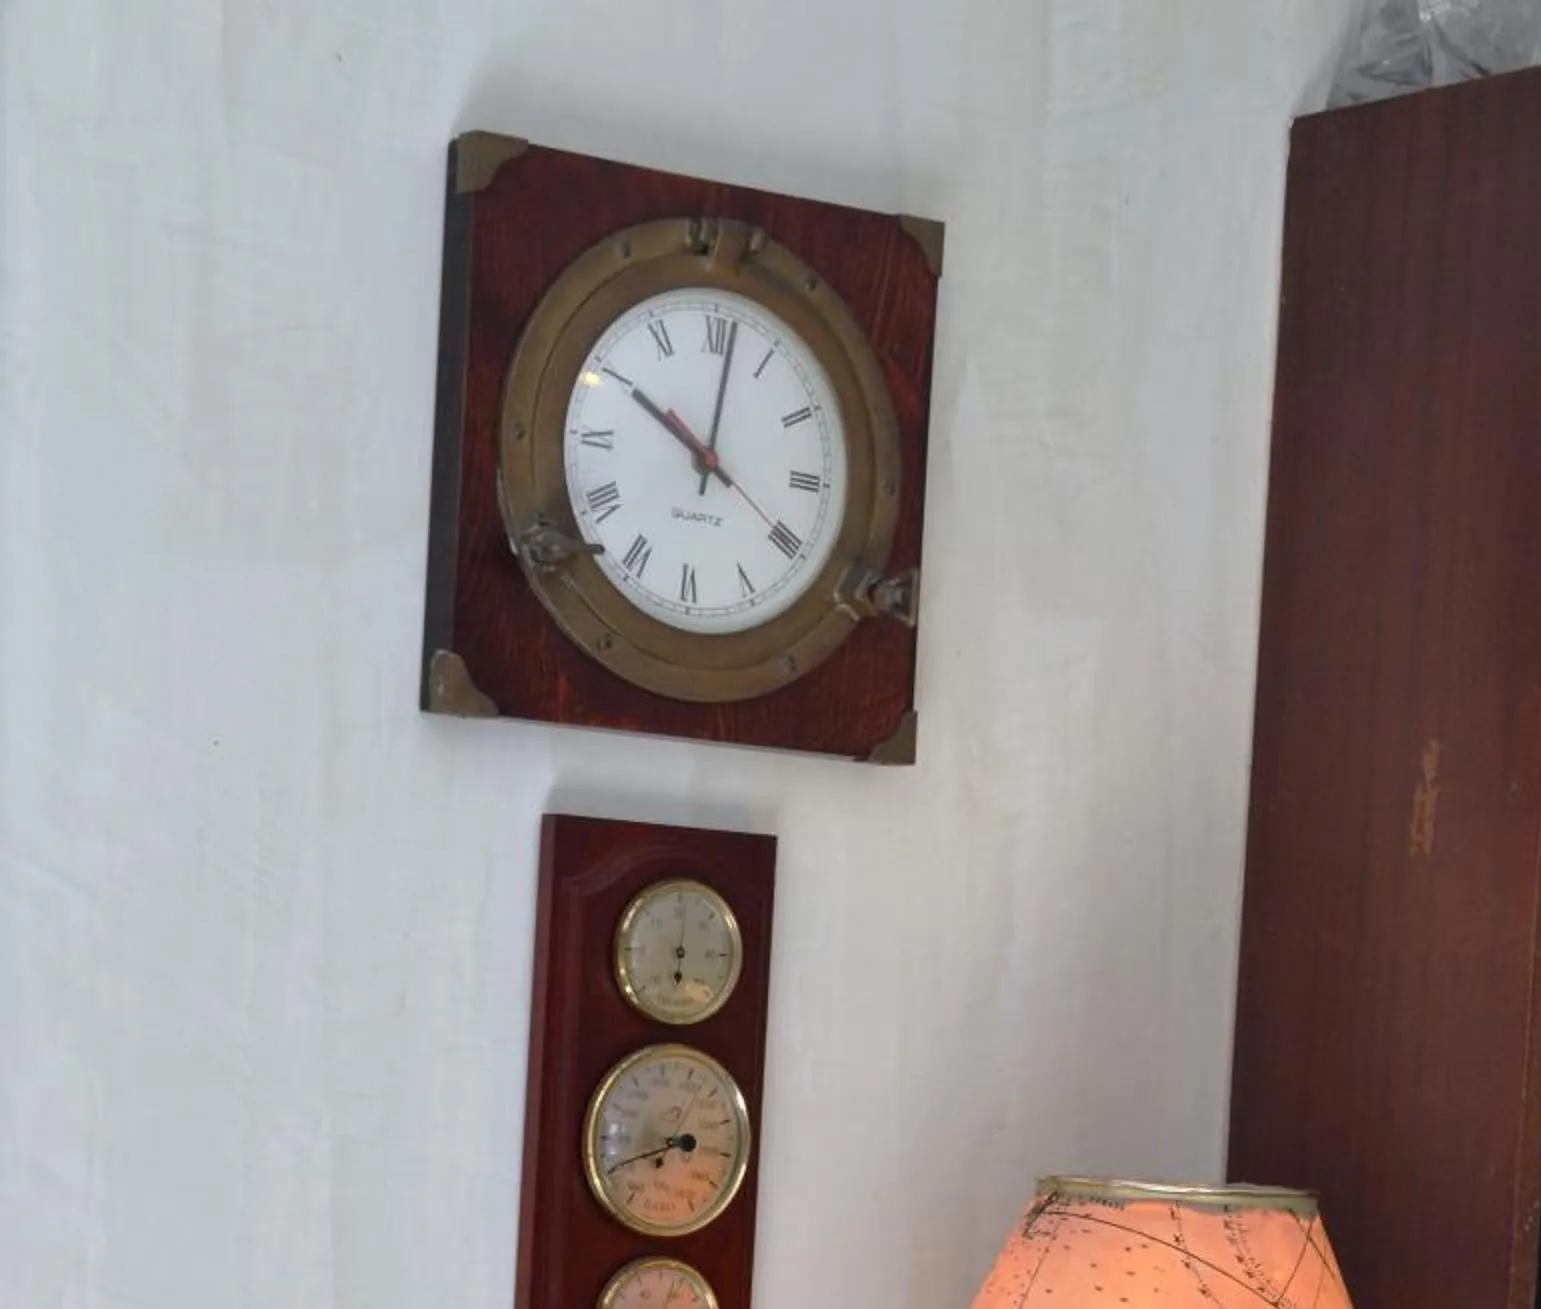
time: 10:01
